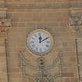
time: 12:10
